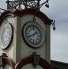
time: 1:41
